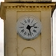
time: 2:27
